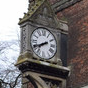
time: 7:40
